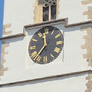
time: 11:36
